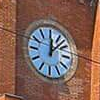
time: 12:07
